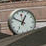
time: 12:48
